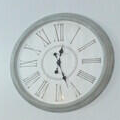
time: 12:26
